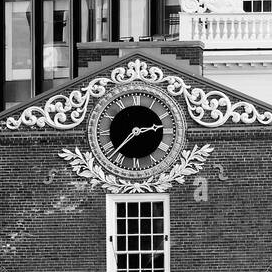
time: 2:37
